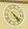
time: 4:22
